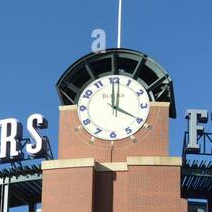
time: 4:00
